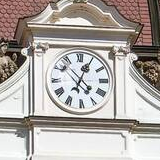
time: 7:04
